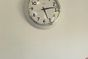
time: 5:12
